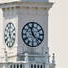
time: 11:22
